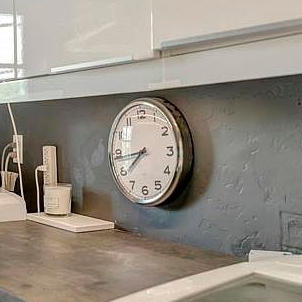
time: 7:43
